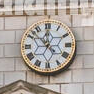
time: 11:52
